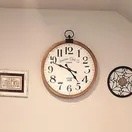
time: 4:48
